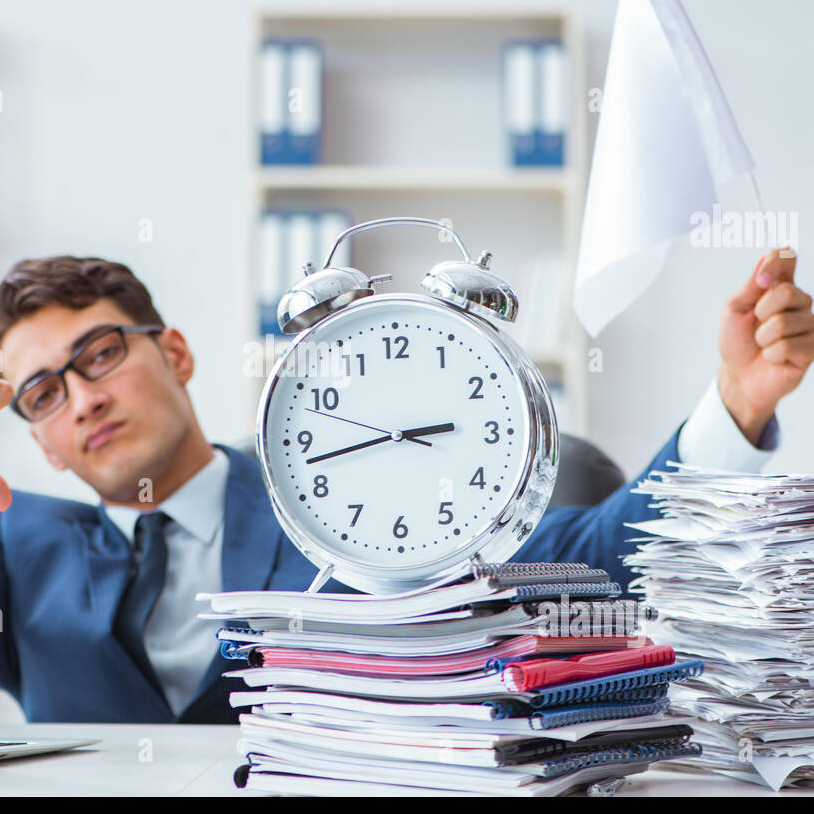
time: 2:42
